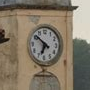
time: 6:51
